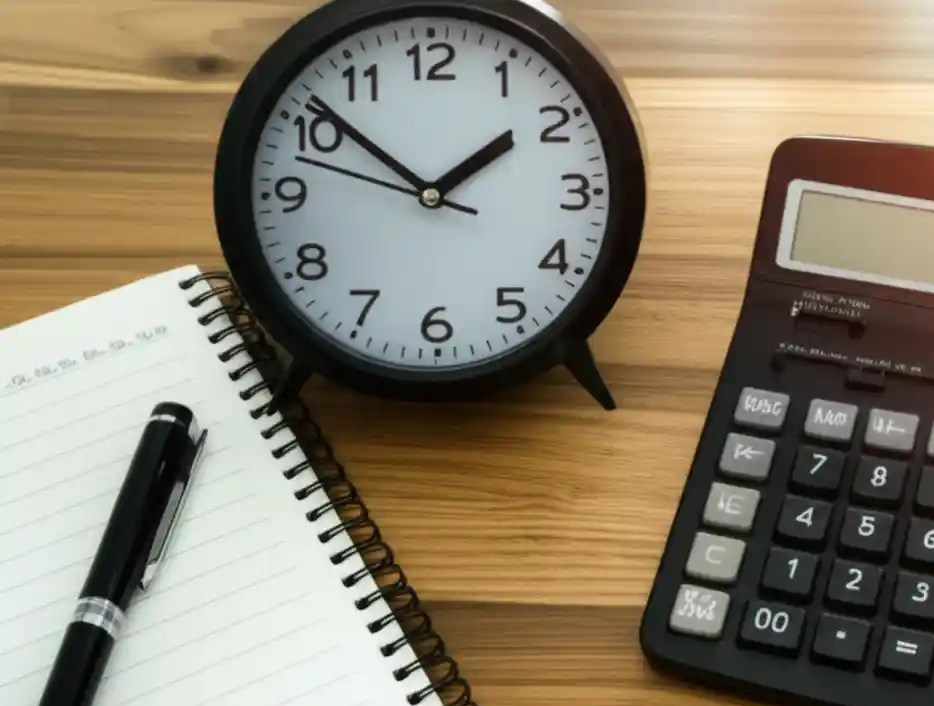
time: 1:51
